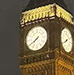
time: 7:39
